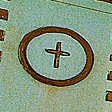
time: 9:31
